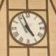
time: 4:56
